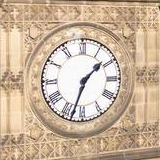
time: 1:33
